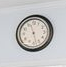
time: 11:27
